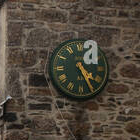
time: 4:25
